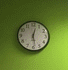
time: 12:28
